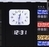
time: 12:31
